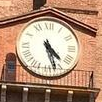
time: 4:27
